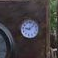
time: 9:07
